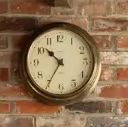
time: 10:34
